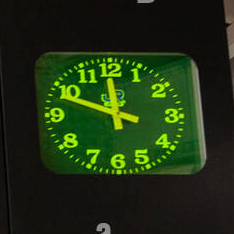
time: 11:48
